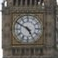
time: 4:50
